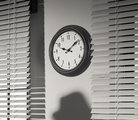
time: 1:47
